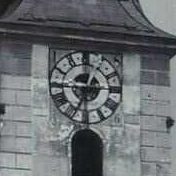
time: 6:45
